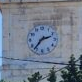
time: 2:36
